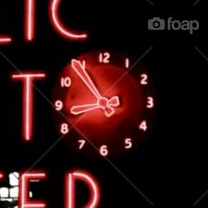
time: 8:54
